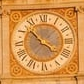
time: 3:52
